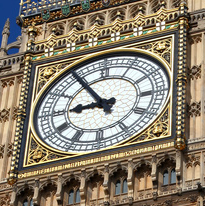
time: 8:54
